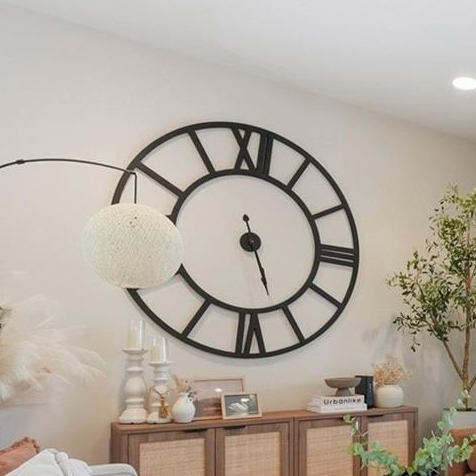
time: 5:26
